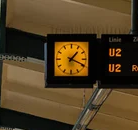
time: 1:18
